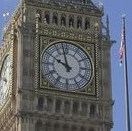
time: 9:57
